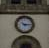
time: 10:15
